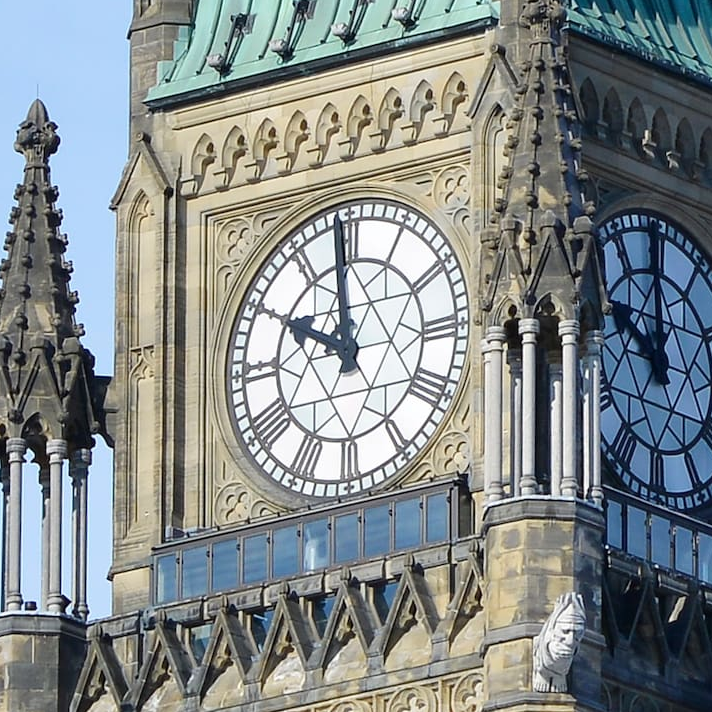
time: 9:58
